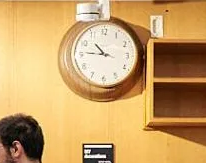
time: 10:45
